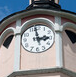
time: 2:58
